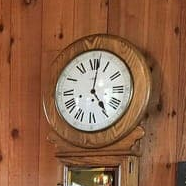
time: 5:01
